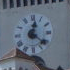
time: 12:21
